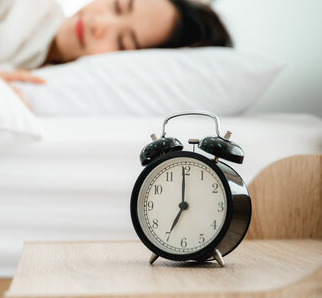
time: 7:00
